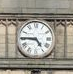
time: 4:45
